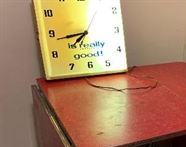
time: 7:43
